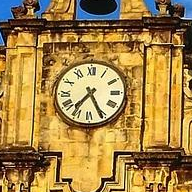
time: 7:25
